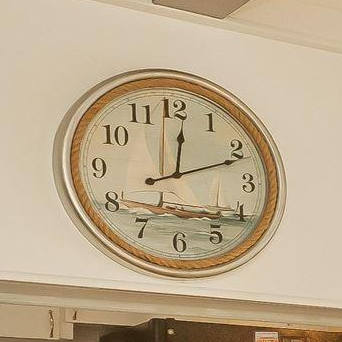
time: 12:11
